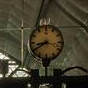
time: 8:39
